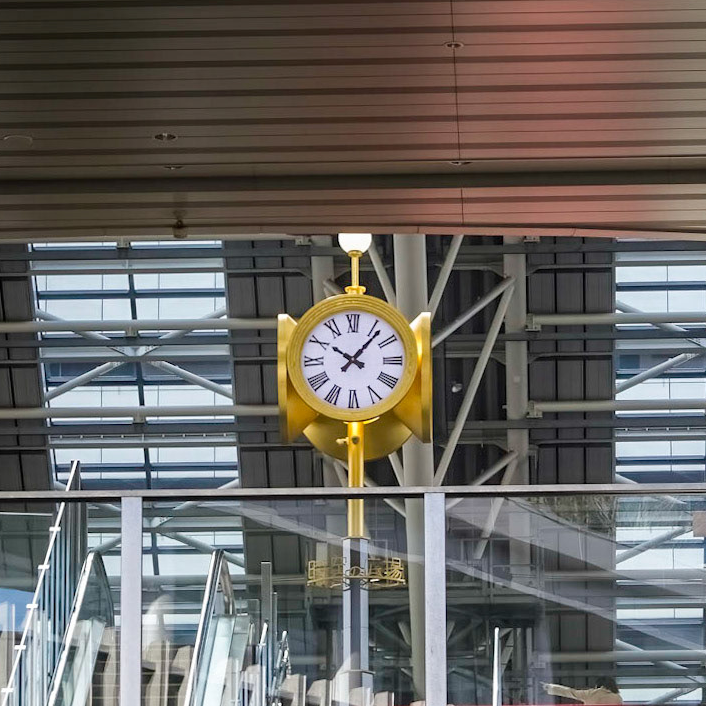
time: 10:07
